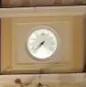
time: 7:37
